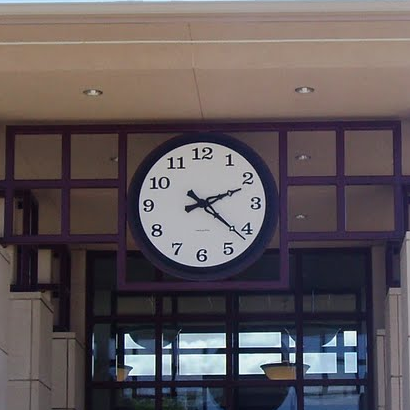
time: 2:21
